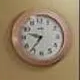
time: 9:36
